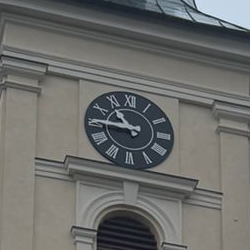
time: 10:45
